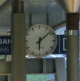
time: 6:08
